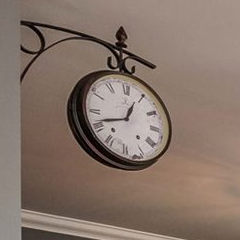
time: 12:41
